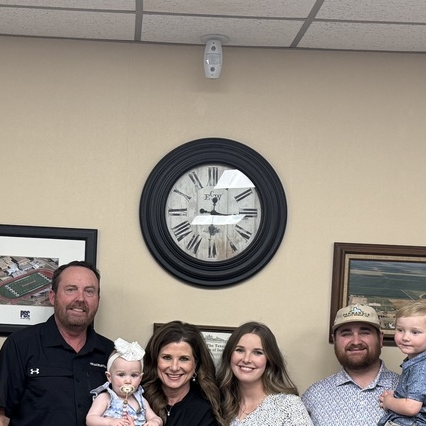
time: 12:14
